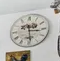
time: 3:28
